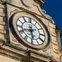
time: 5:41
